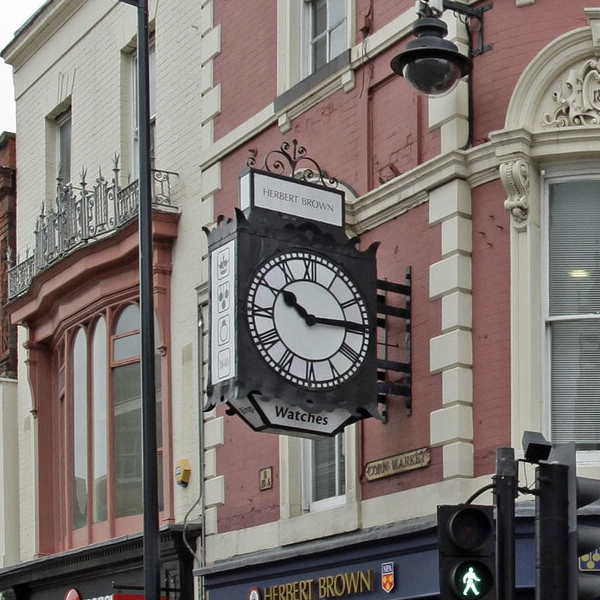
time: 10:14
